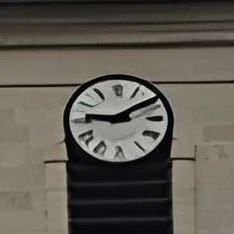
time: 9:10
